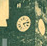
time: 5:13
